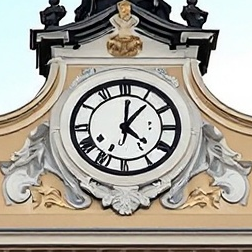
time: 4:06
